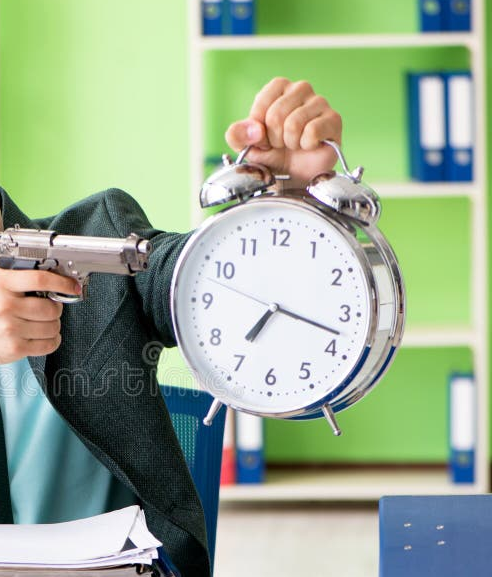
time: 7:17
